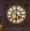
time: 4:31
